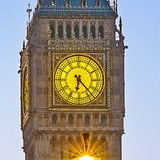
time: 6:23
